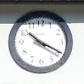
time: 10:19
